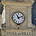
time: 11:11
